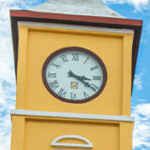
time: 3:20
